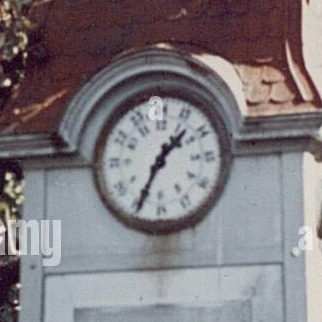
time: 1:34
